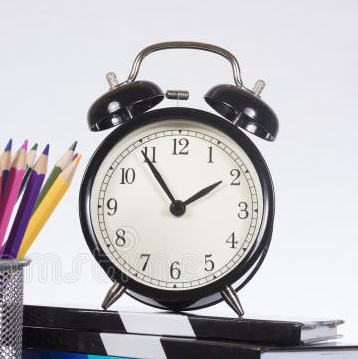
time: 1:54
